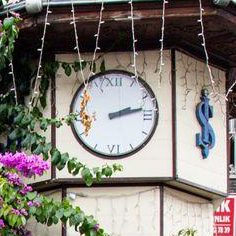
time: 2:13
